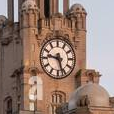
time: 9:27
